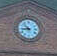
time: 8:53
